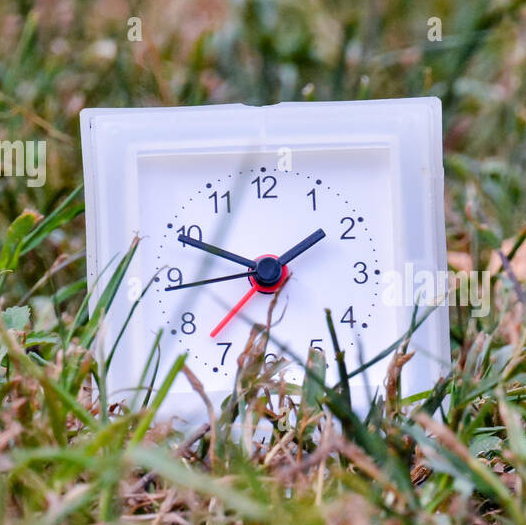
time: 1:49
